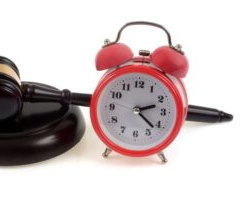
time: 2:21
